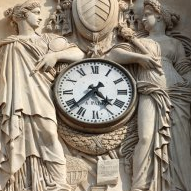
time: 4:37
